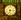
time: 6:15
